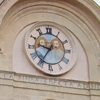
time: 9:35
